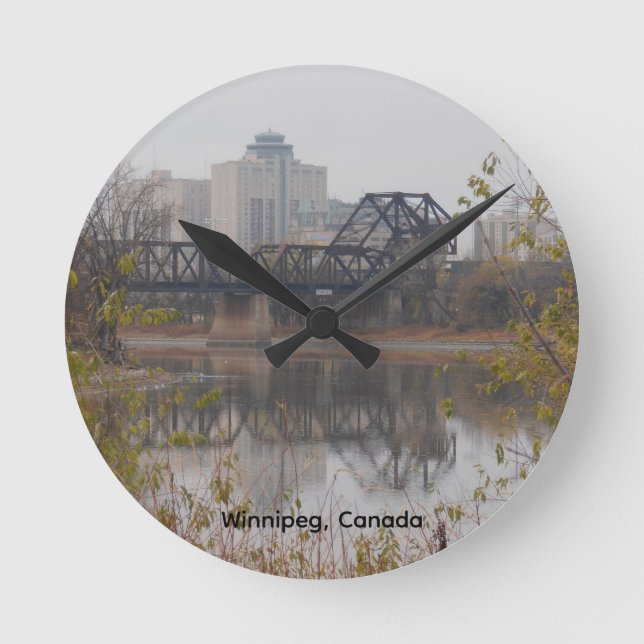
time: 10:07
